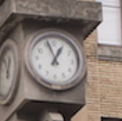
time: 12:56
